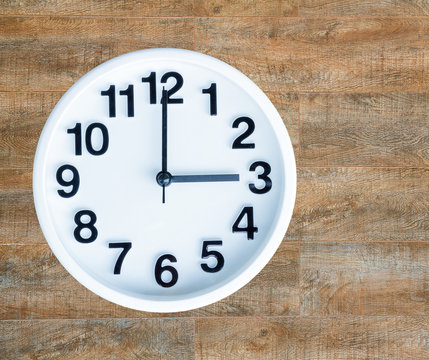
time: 3:00
